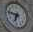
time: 6:46
